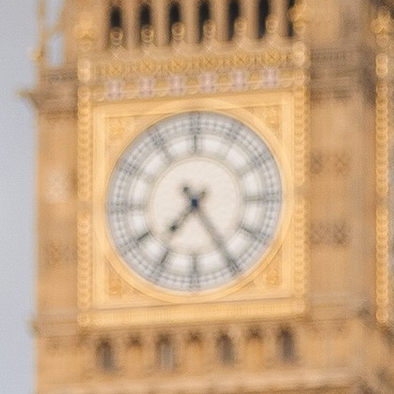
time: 7:24
